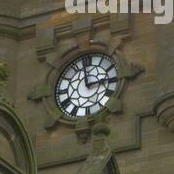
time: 2:58
